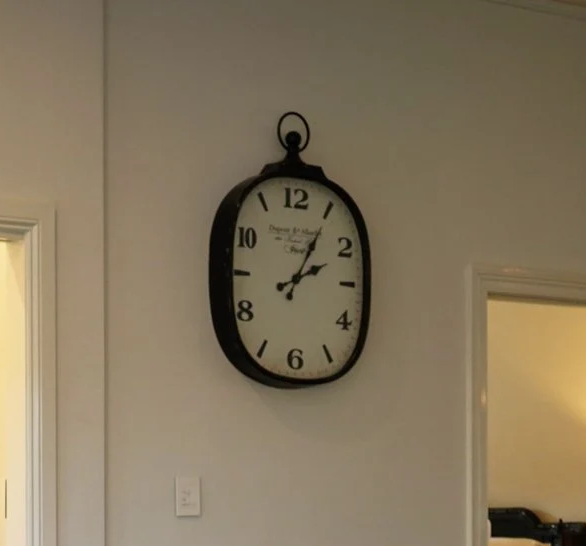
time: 2:05
